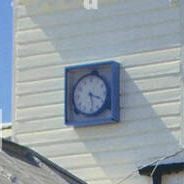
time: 3:28
